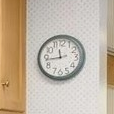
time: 11:43
